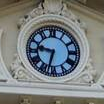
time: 9:32
